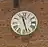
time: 11:27
